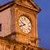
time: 9:41
